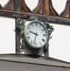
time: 9:33
